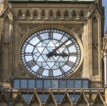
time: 3:07
